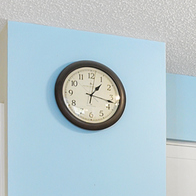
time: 1:17
